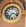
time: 7:17
